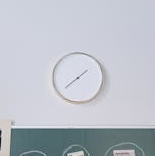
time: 1:38
